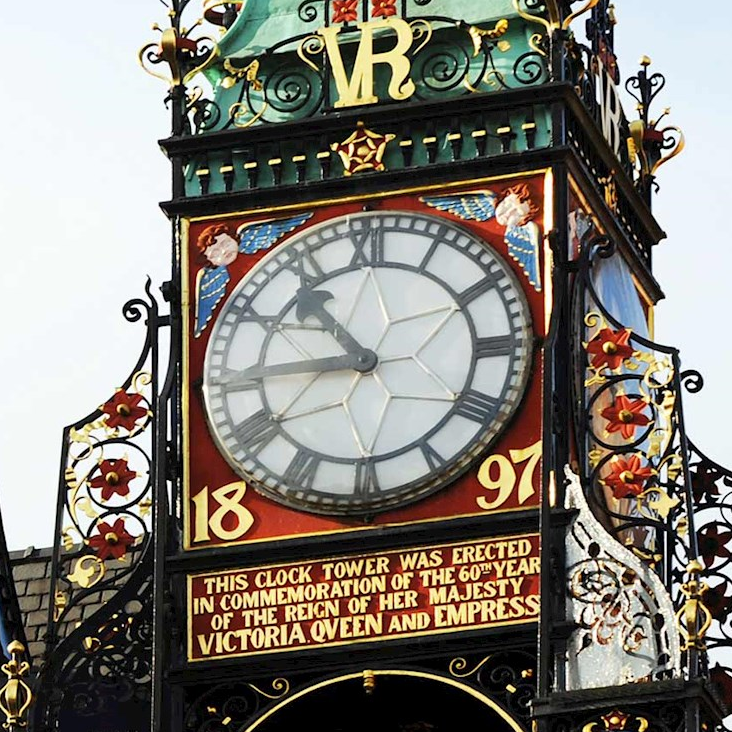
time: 10:45
